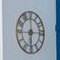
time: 5:59
